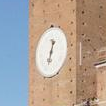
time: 6:32
